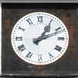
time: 1:11
